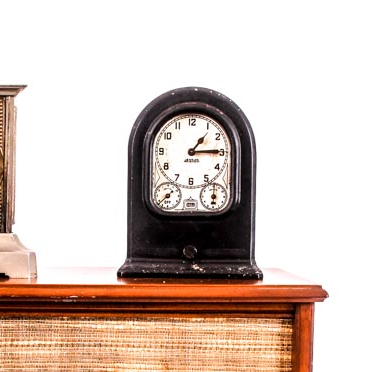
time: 1:13
